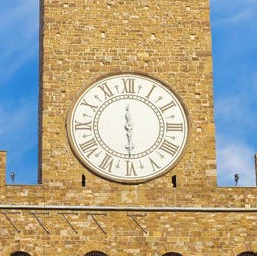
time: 5:59
